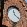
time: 11:21
